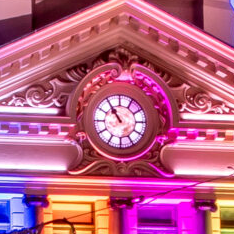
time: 10:54
